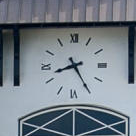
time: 8:25
